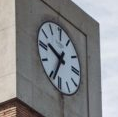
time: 9:34
